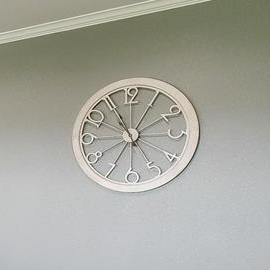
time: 11:04
